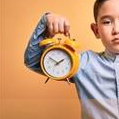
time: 1:50
